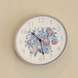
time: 10:28
